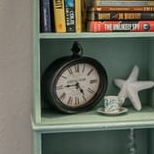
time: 4:44
